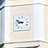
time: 8:49
